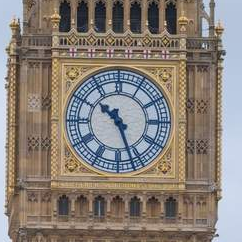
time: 10:26
